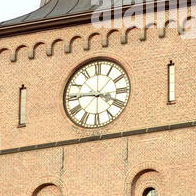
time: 3:45
